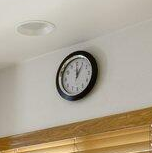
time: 12:05
